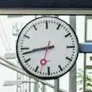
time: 8:43
